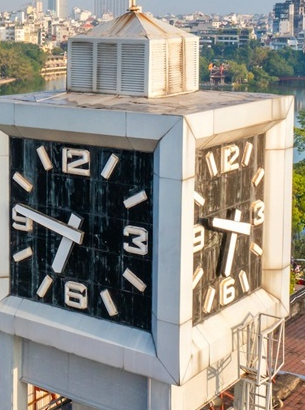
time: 6:47
